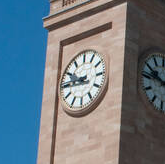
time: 9:45
